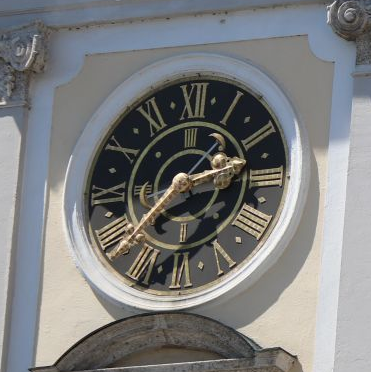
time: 2:38
